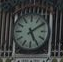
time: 5:09
